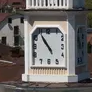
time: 10:54
